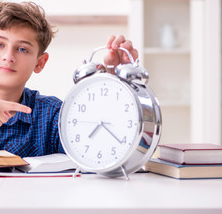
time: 7:21
